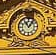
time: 11:06
